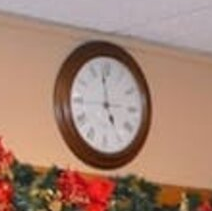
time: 4:58
